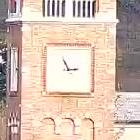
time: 2:55
